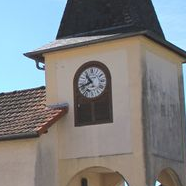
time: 10:42
